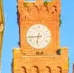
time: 6:43
